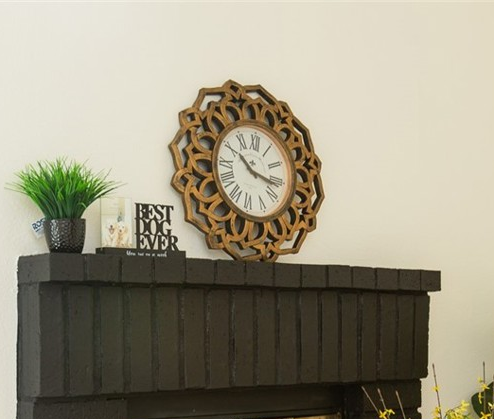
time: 10:17
